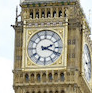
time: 2:18
